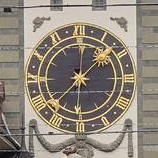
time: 1:37
